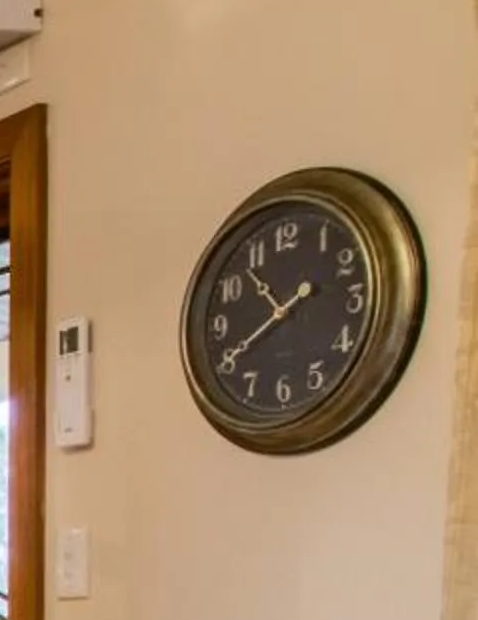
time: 10:40
